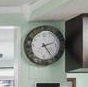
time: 2:24
